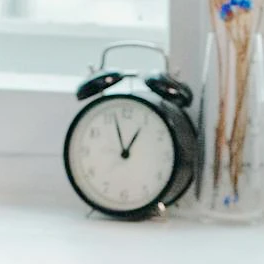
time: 12:57
